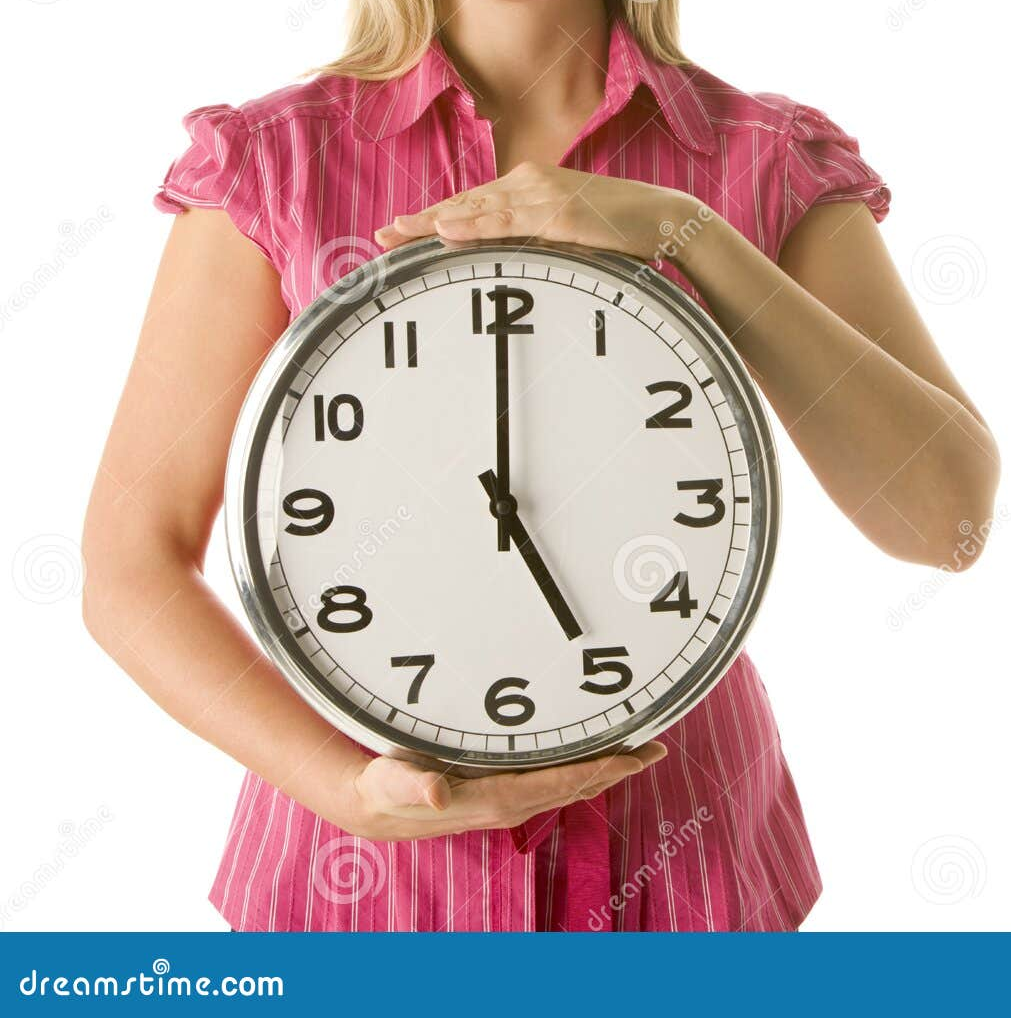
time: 5:00
